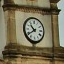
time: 10:39
